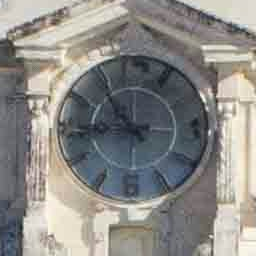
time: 8:54
